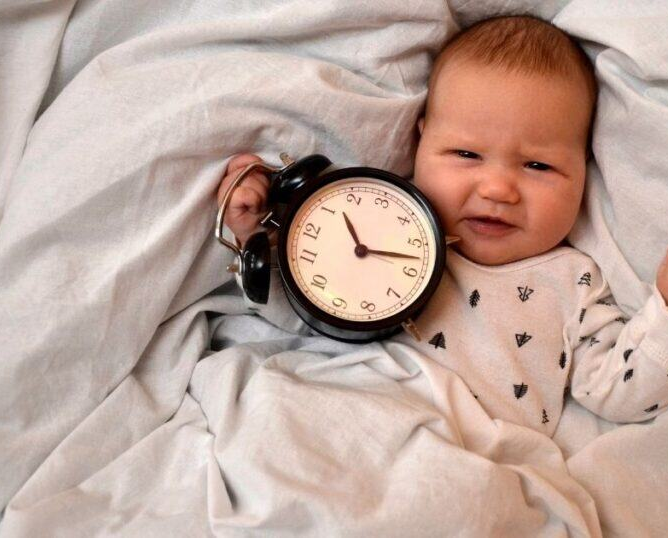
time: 11:17
